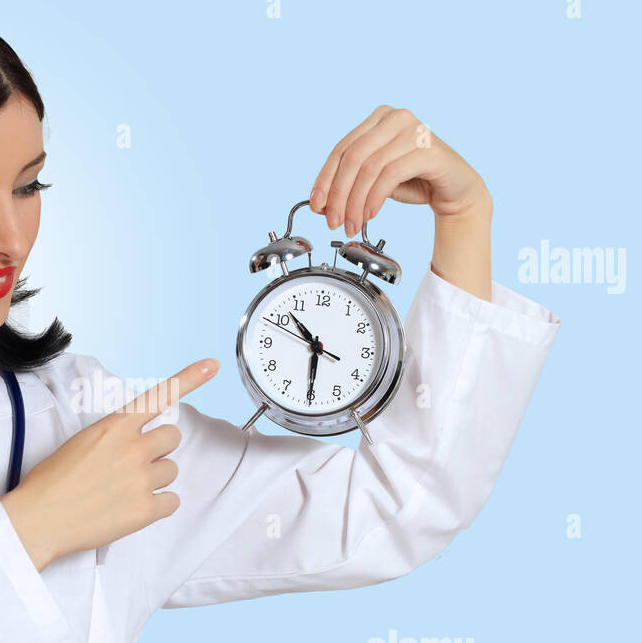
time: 10:30
